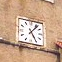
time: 5:06
